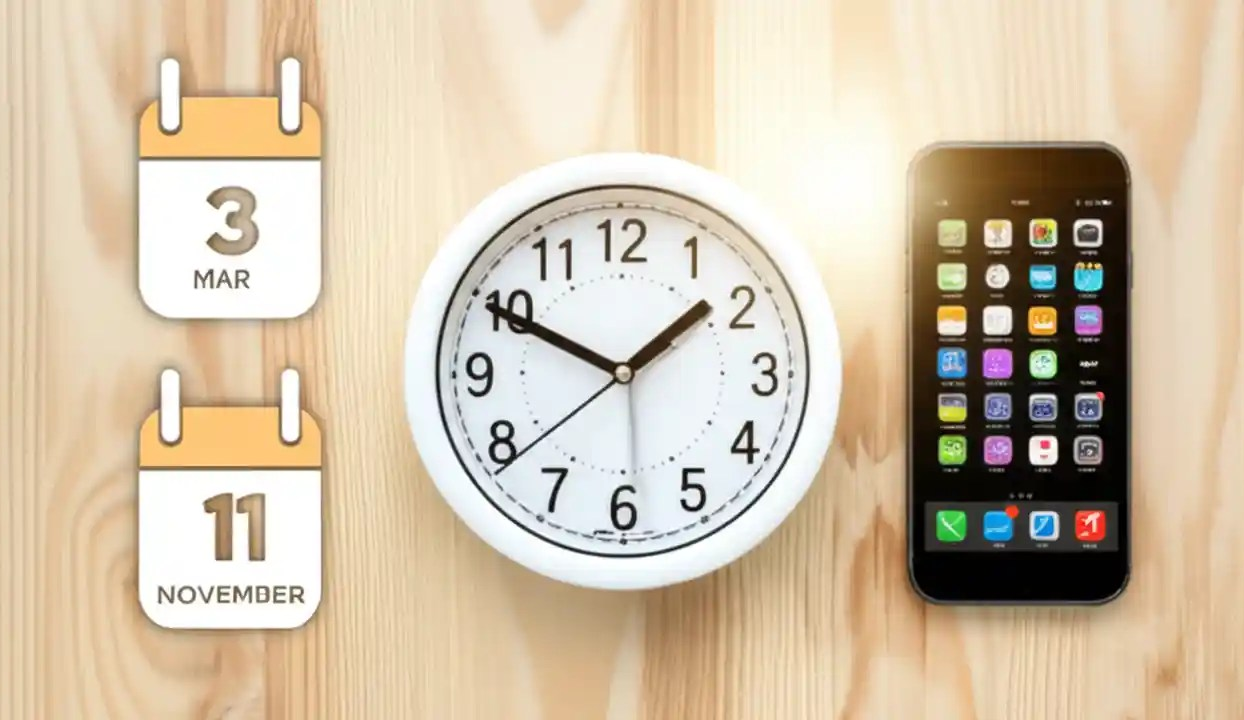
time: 1:49
